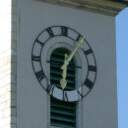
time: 6:06
